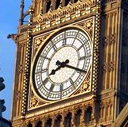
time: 8:19
